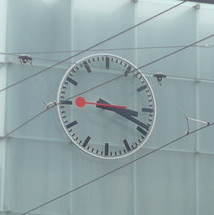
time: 3:18
